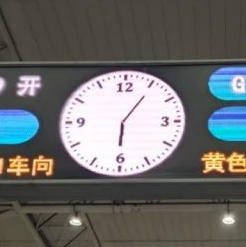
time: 6:05
